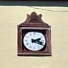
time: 2:19
